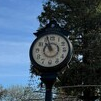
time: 10:56
